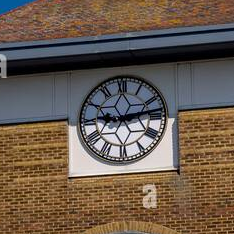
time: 9:13
